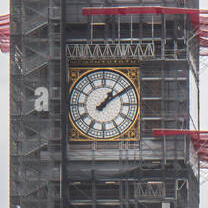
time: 1:09
